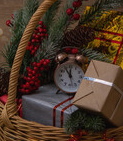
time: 11:54
